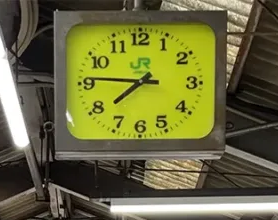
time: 7:45
